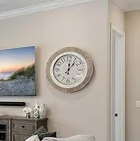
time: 12:06
